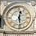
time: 12:28
